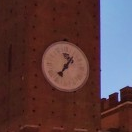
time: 7:06
